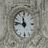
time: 11:46
